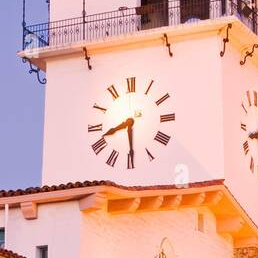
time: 8:29
